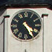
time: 4:24
